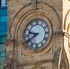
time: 9:39
